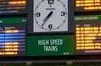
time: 7:36
